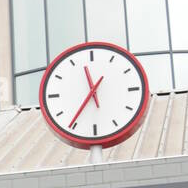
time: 11:35
